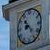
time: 8:23
